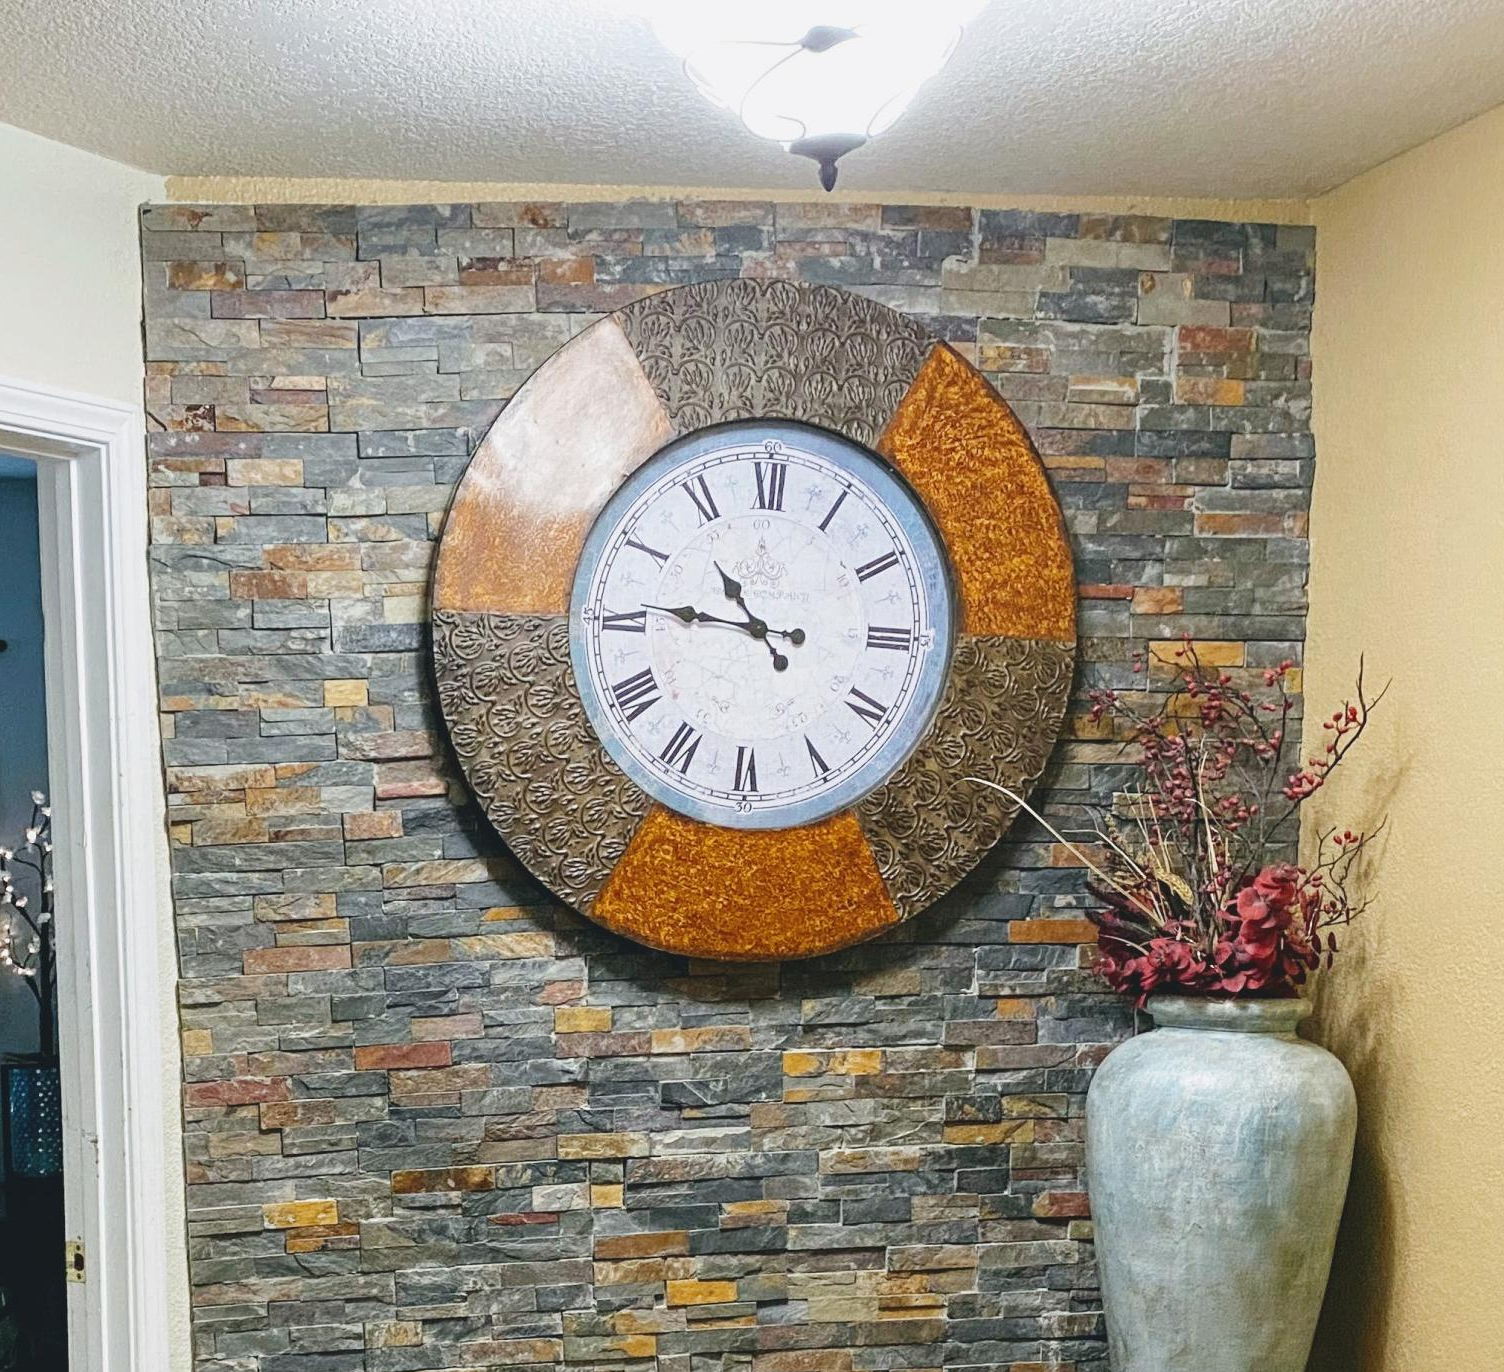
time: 10:45
